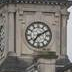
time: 7:10
